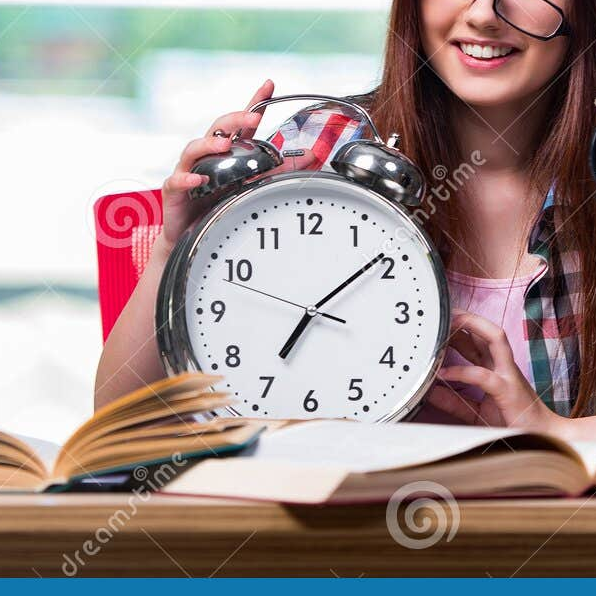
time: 7:08
